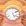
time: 5:09
